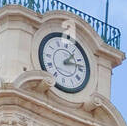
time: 1:13
